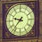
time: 9:37
